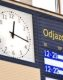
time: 12:16
